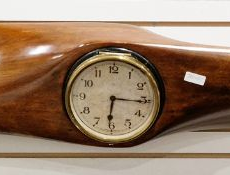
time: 6:15
